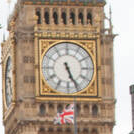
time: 5:26
